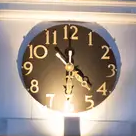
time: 4:30
